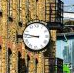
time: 8:46
